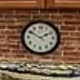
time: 1:50
